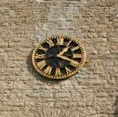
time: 1:18
